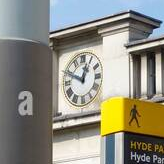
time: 12:48
